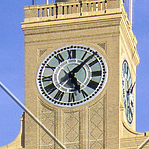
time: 5:07
